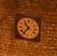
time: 10:36
